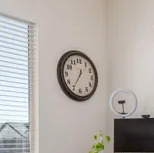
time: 12:35
